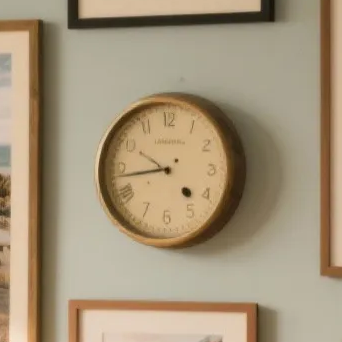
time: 9:43
